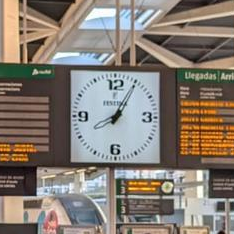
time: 8:05
